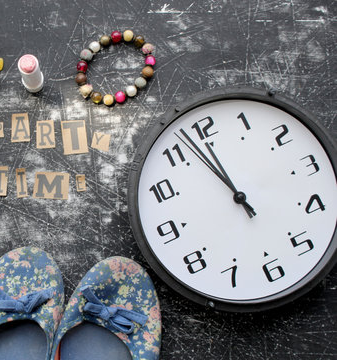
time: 11:57
